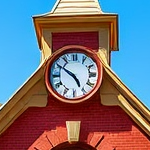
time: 4:50
